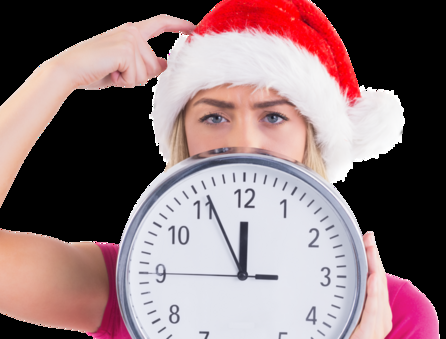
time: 11:55
